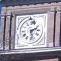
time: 2:27
